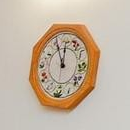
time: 11:55
